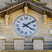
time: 4:09
